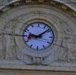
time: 9:08
